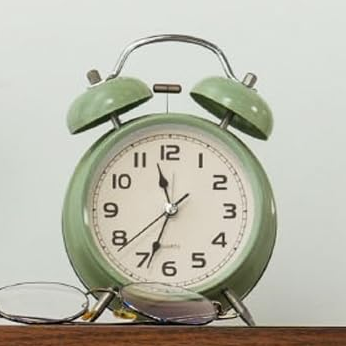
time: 11:33
